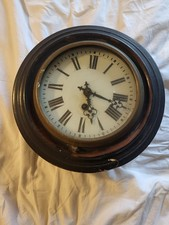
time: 5:17
